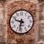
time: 9:32
